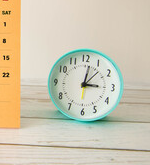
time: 3:01
